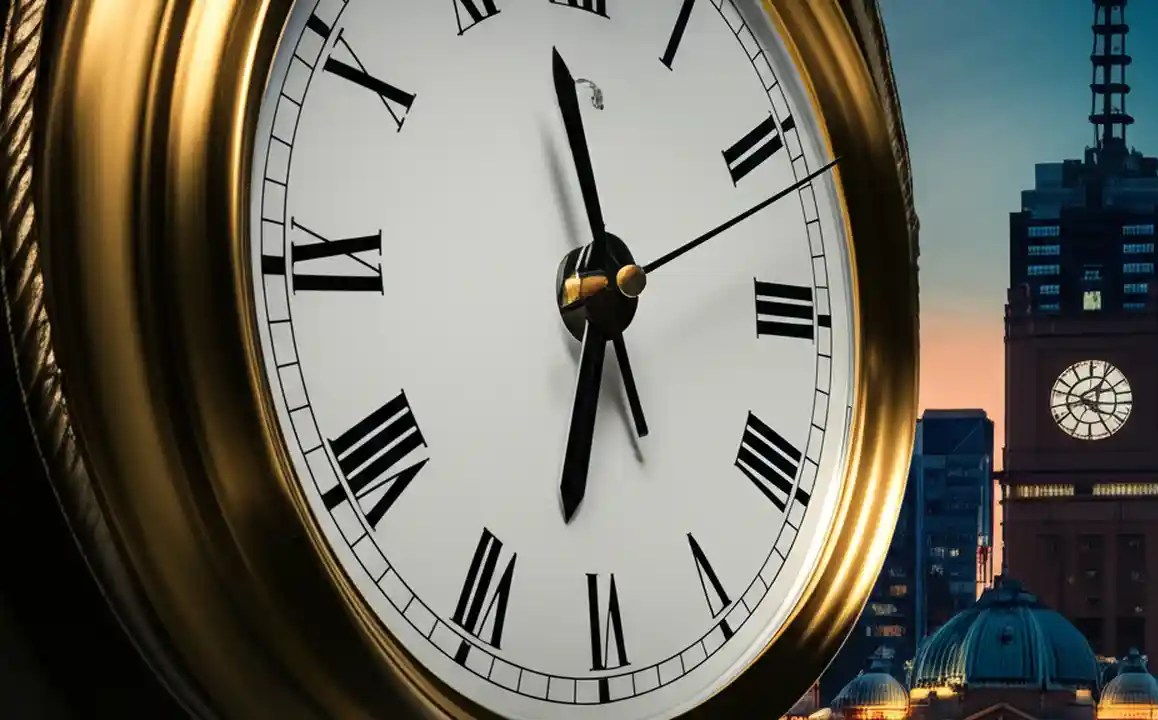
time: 11:32
